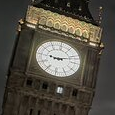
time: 9:11
